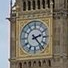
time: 2:23
